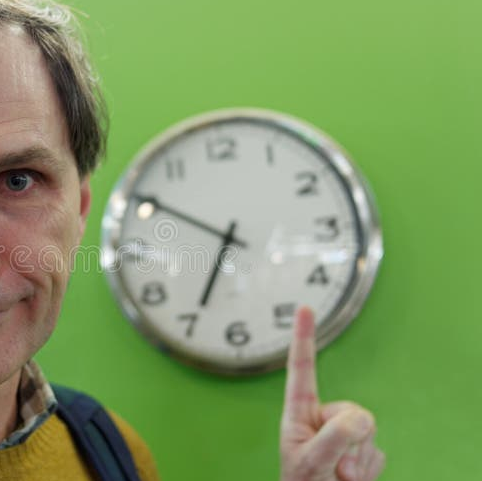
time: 6:50
